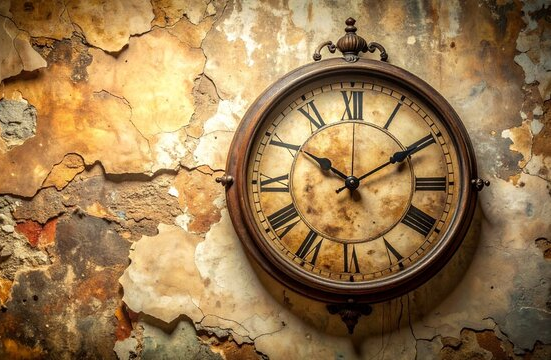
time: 10:09
